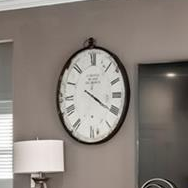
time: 10:20
